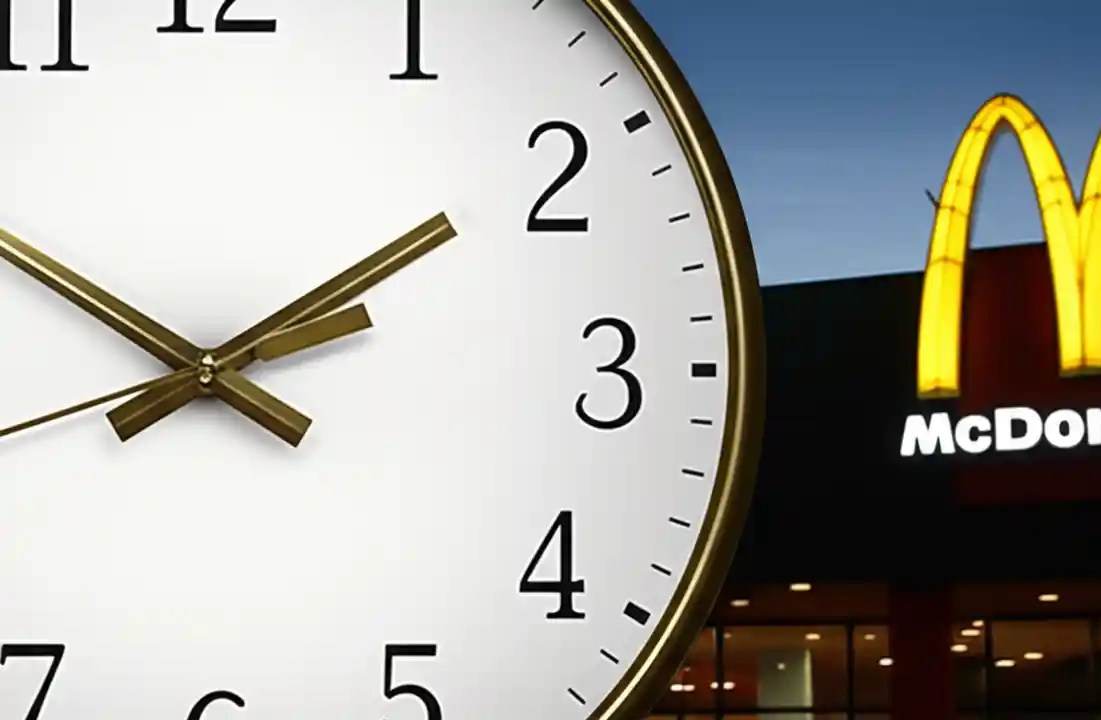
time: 1:50
